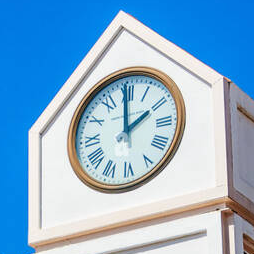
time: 1:59
